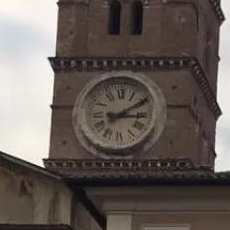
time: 3:09
